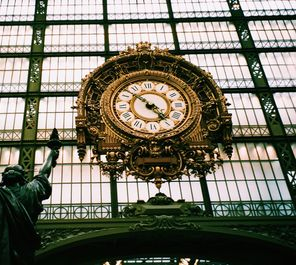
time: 4:52
